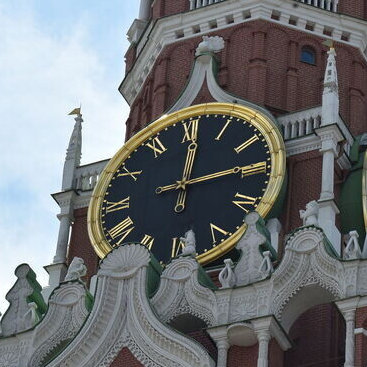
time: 12:14
